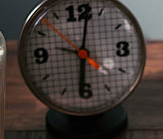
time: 6:01
